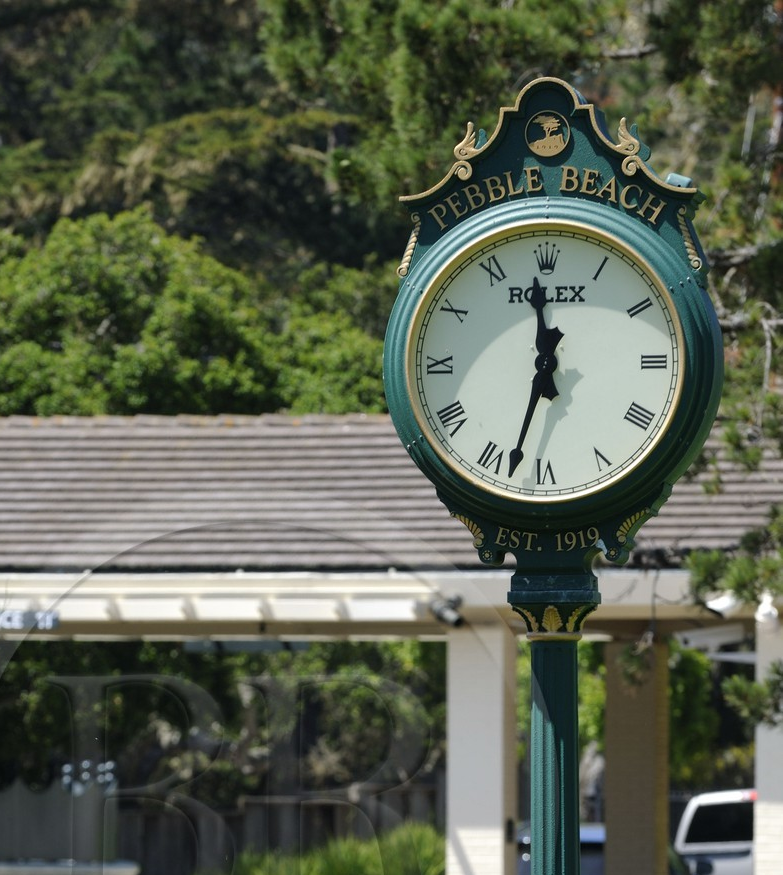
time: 11:33
